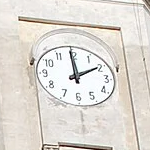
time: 1:59
